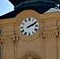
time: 2:09
